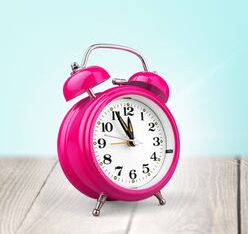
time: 11:55
